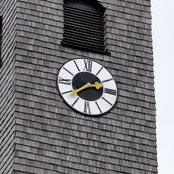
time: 2:38
